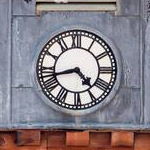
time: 4:42
